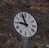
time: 8:56
